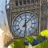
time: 12:07
